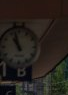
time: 10:57
